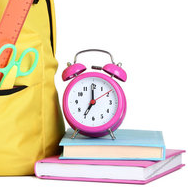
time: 7:00
